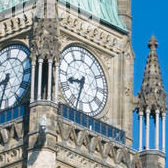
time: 8:32
